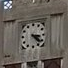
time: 3:22
